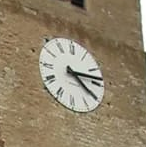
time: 4:13
